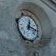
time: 12:16
